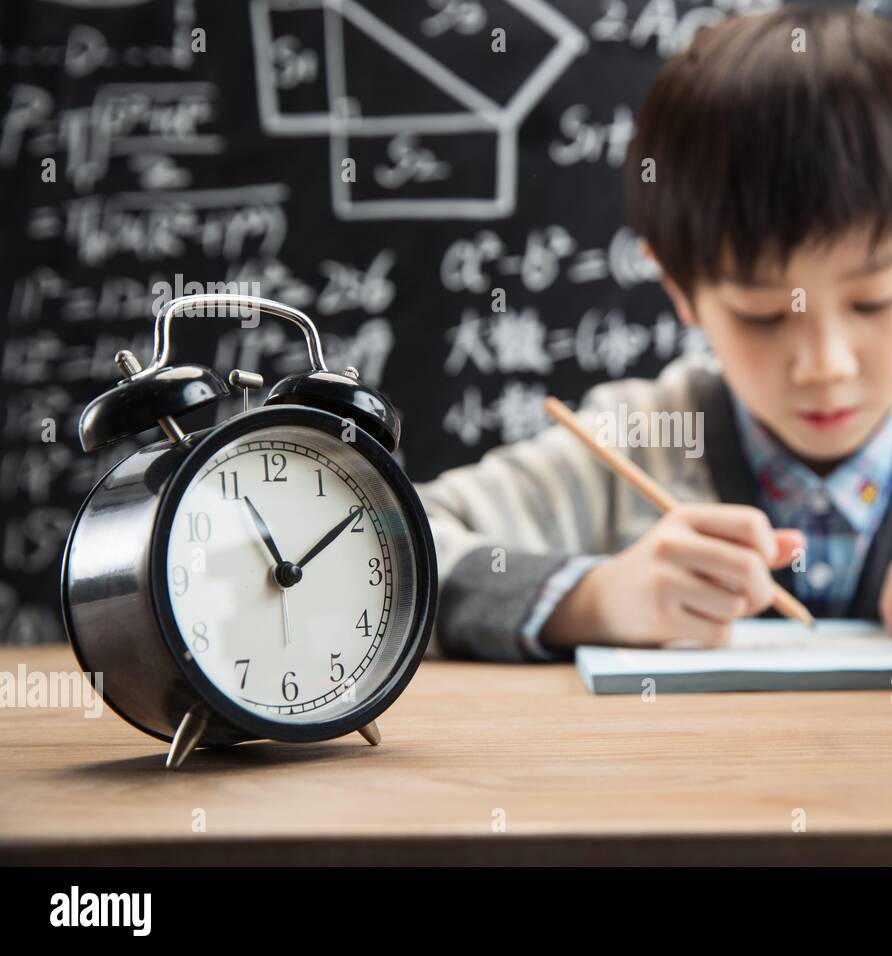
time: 11:09
